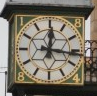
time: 12:16
